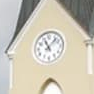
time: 11:07
